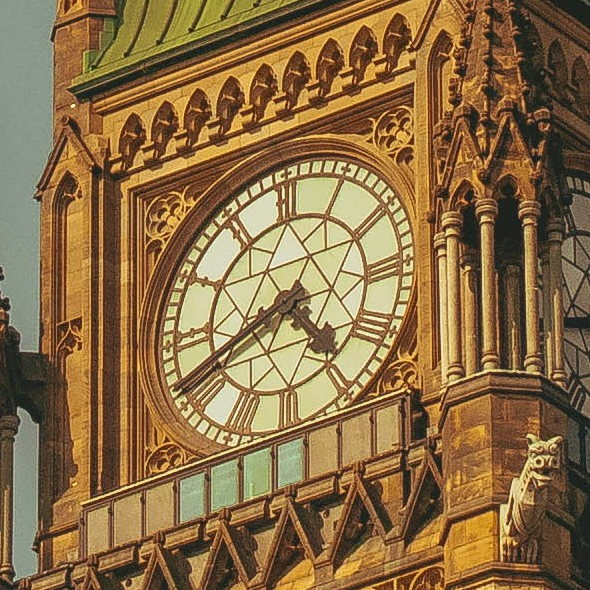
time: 4:40
